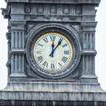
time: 12:06
